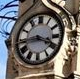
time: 3:43
